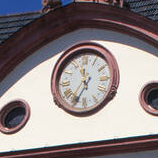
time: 11:35
